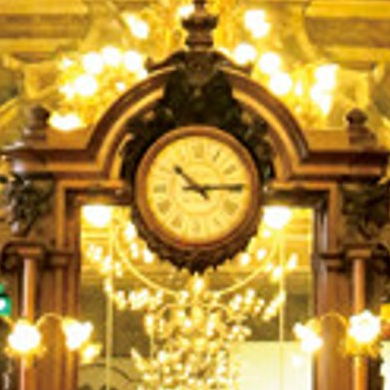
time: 10:14
